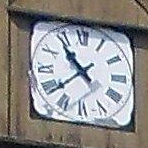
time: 10:38
